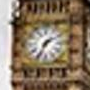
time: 1:34
